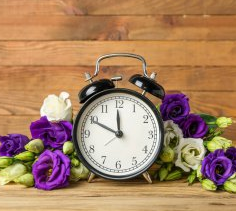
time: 11:49
